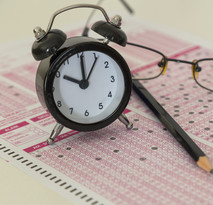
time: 10:00
